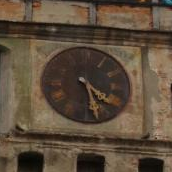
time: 4:27
